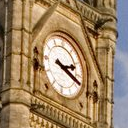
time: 2:18
